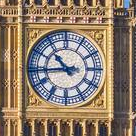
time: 10:43
